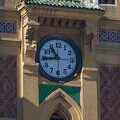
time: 10:43
